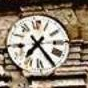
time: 7:24
